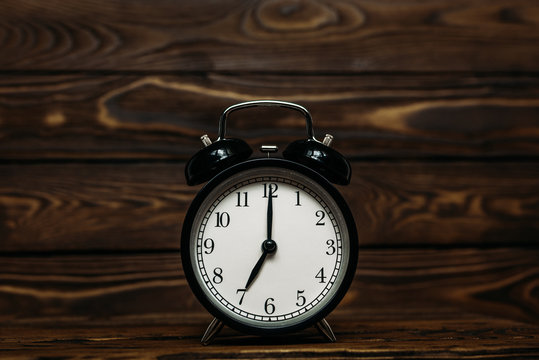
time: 7:00
